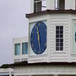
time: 11:28
